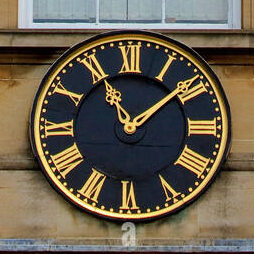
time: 11:08
